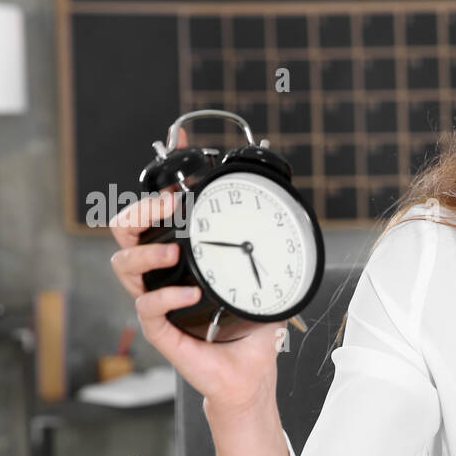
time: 5:45
